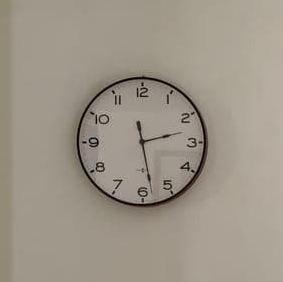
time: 2:28
